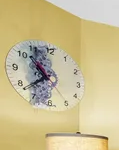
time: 10:38
